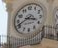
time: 3:41
